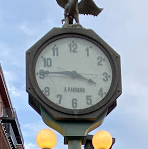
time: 3:45
